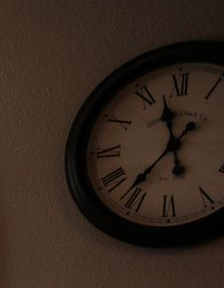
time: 11:36
